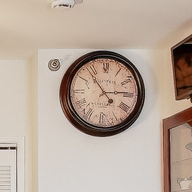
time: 2:53
